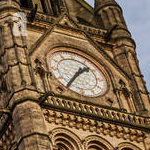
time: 1:36
